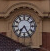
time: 7:25
